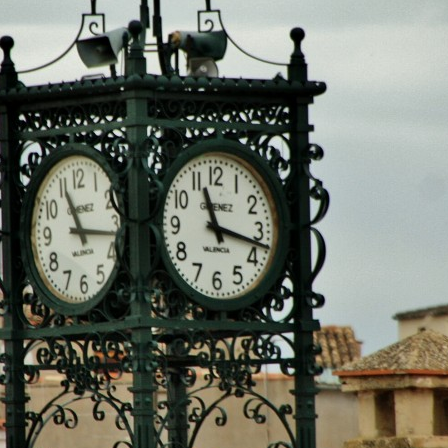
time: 11:17
